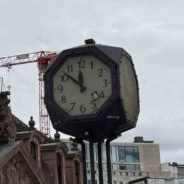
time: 11:52
